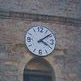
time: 4:08
